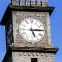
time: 5:14
